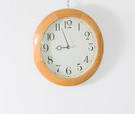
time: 8:56
